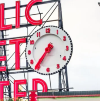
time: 7:36
